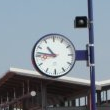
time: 10:46
